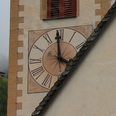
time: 3:58
